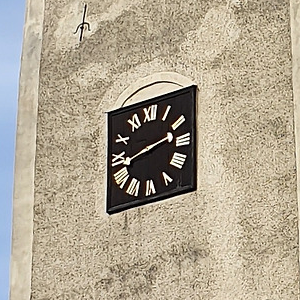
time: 2:42
